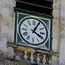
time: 4:04
